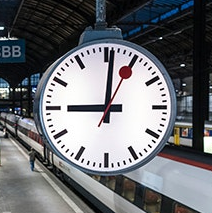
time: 9:01
